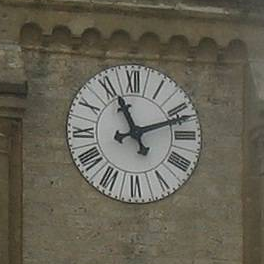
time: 11:11
